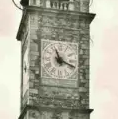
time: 11:18
